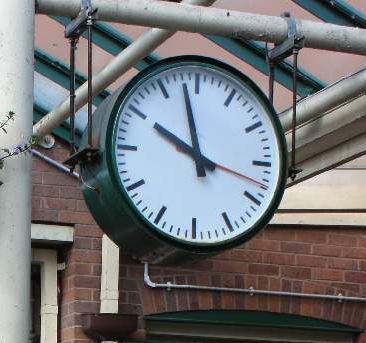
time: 9:57
